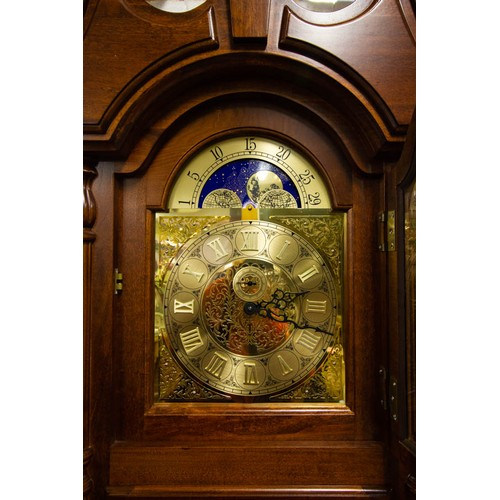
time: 2:18
